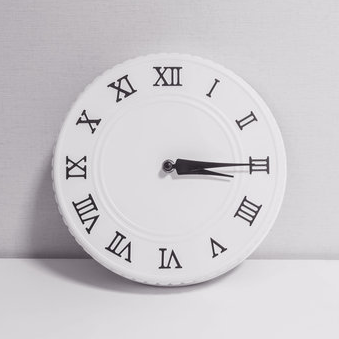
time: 3:15
